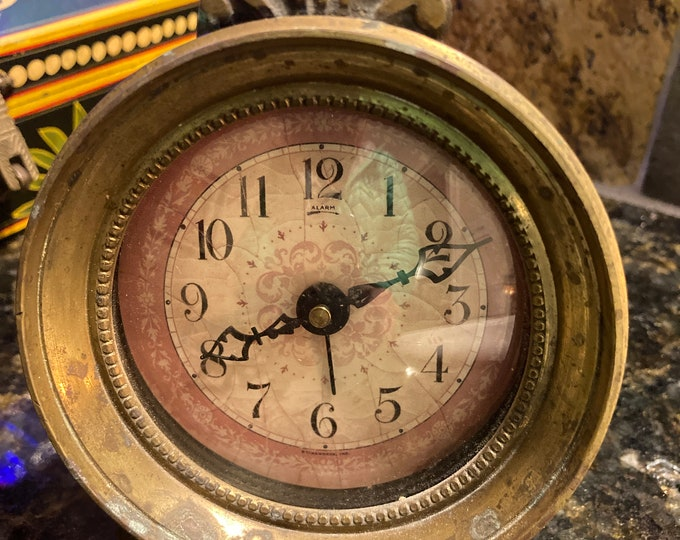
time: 8:11
